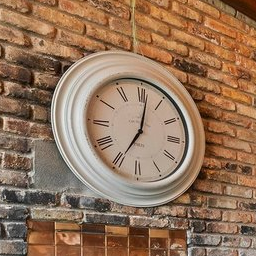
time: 7:01
